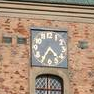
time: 4:35
